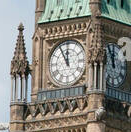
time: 11:55
